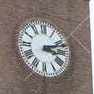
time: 3:11
